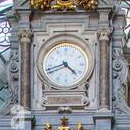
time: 4:42
